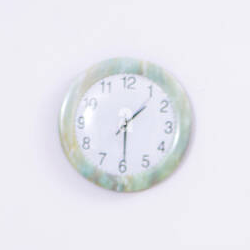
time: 1:29
